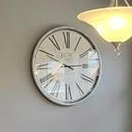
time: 2:49
